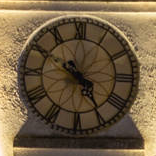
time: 4:50
